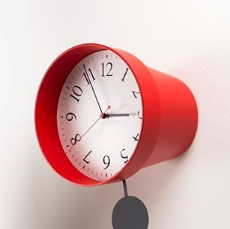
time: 2:54
